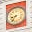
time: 8:37
